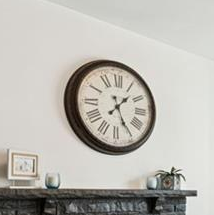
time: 1:25
